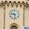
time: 9:28
